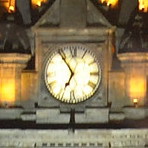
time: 6:54
